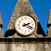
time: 2:19
